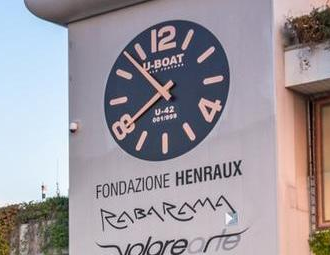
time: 7:53
